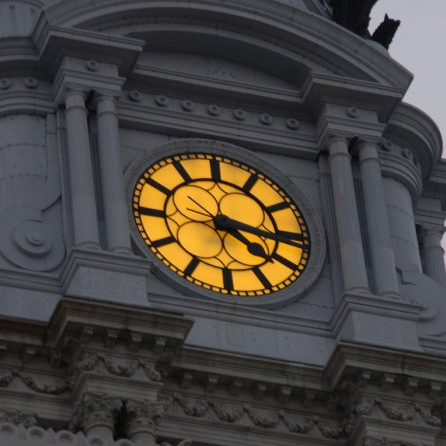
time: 4:16
